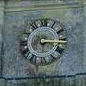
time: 3:16
